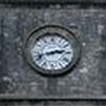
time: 2:42
